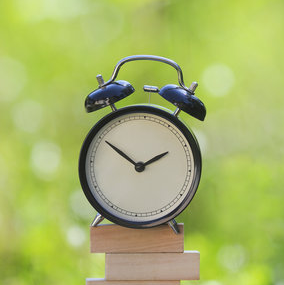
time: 1:50
